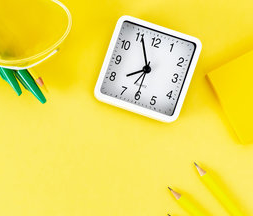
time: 7:55
